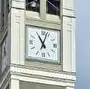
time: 11:03
